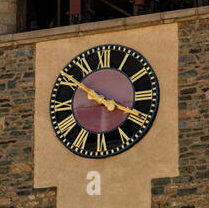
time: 3:50
